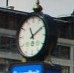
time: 11:09
